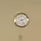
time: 5:11
